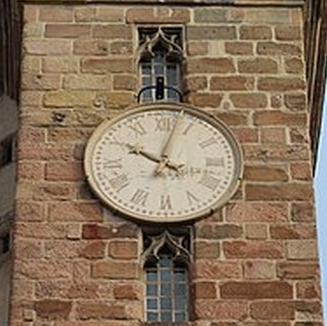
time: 10:02
